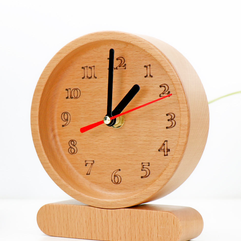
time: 2:01
